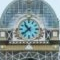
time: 10:38
